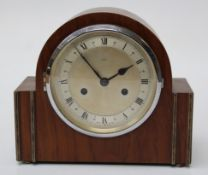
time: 1:53
